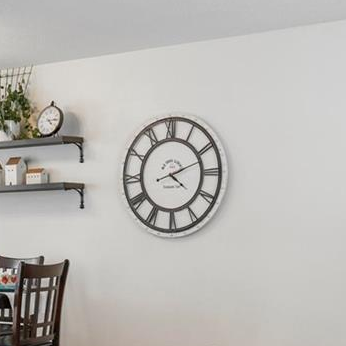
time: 4:11
